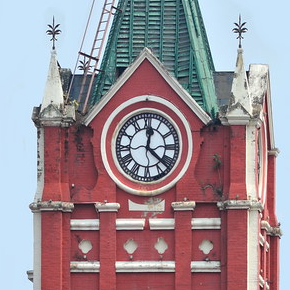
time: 12:22
